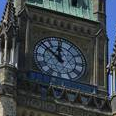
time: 11:51
